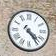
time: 4:23
